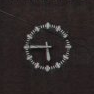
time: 5:45
